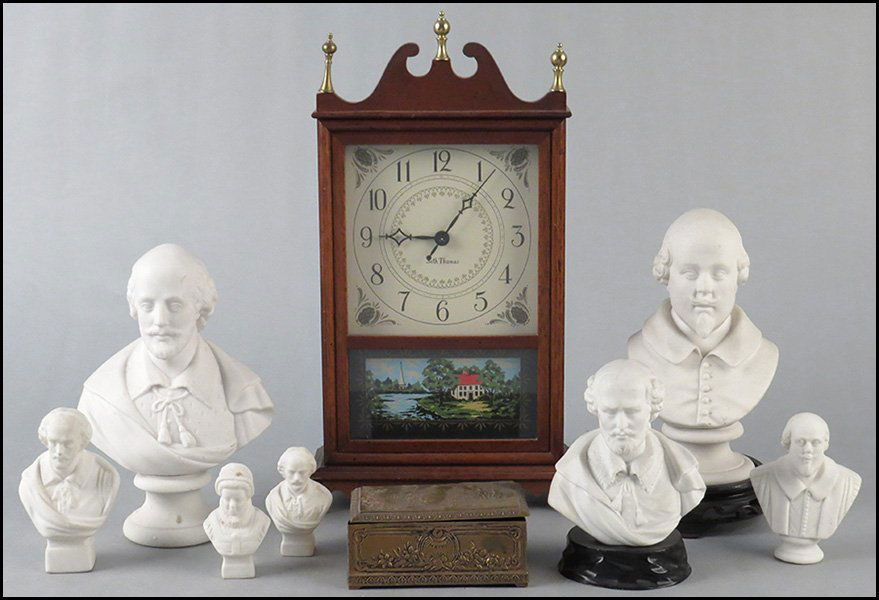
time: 9:07
